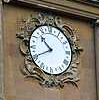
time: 10:40
